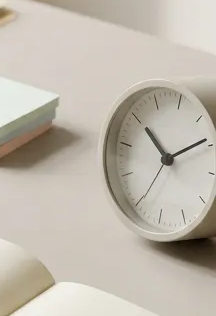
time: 11:13
